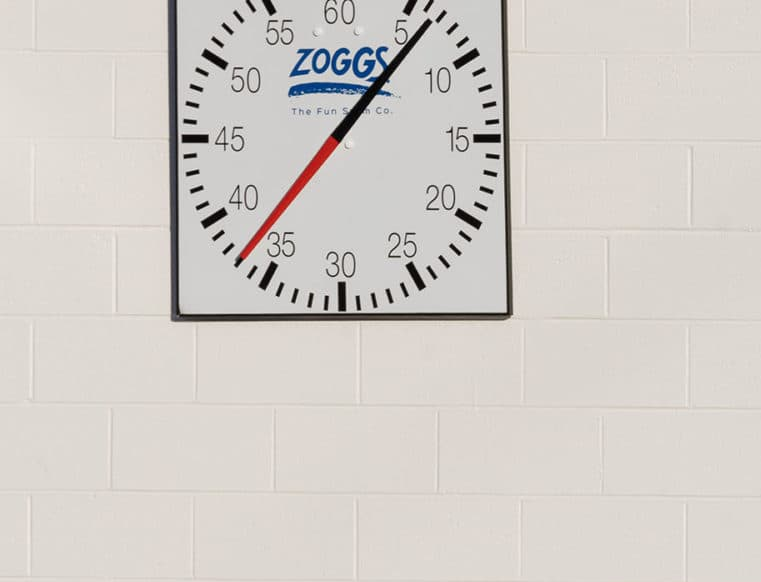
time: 1:06
